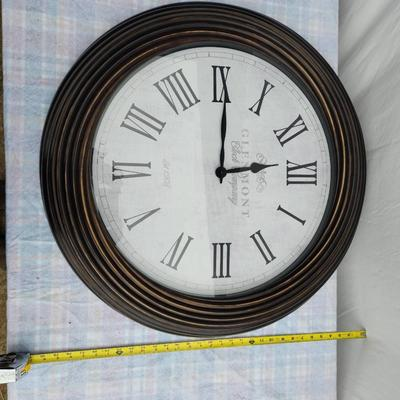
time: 3:00
